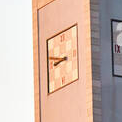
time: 8:47
